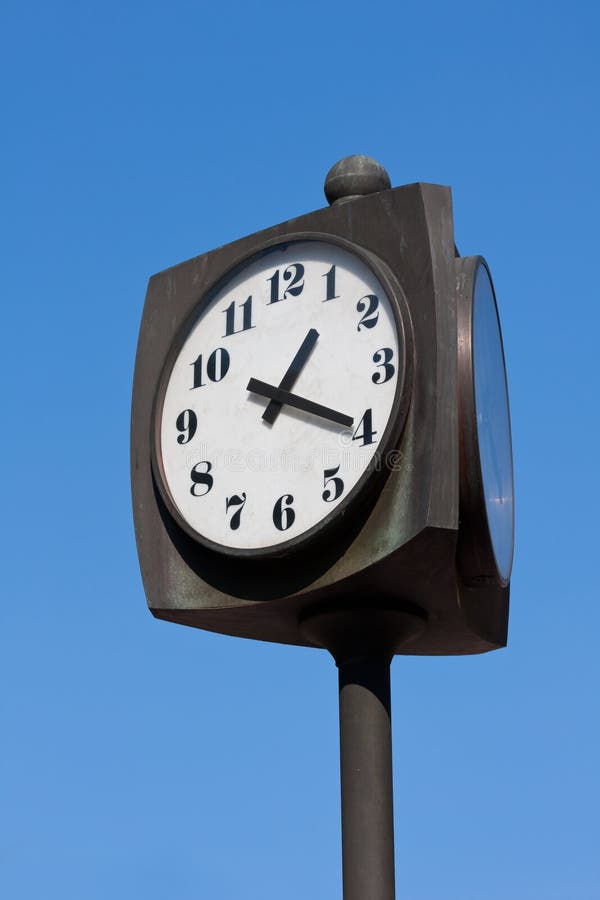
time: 1:19
